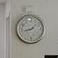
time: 1:42
